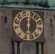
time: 6:00
